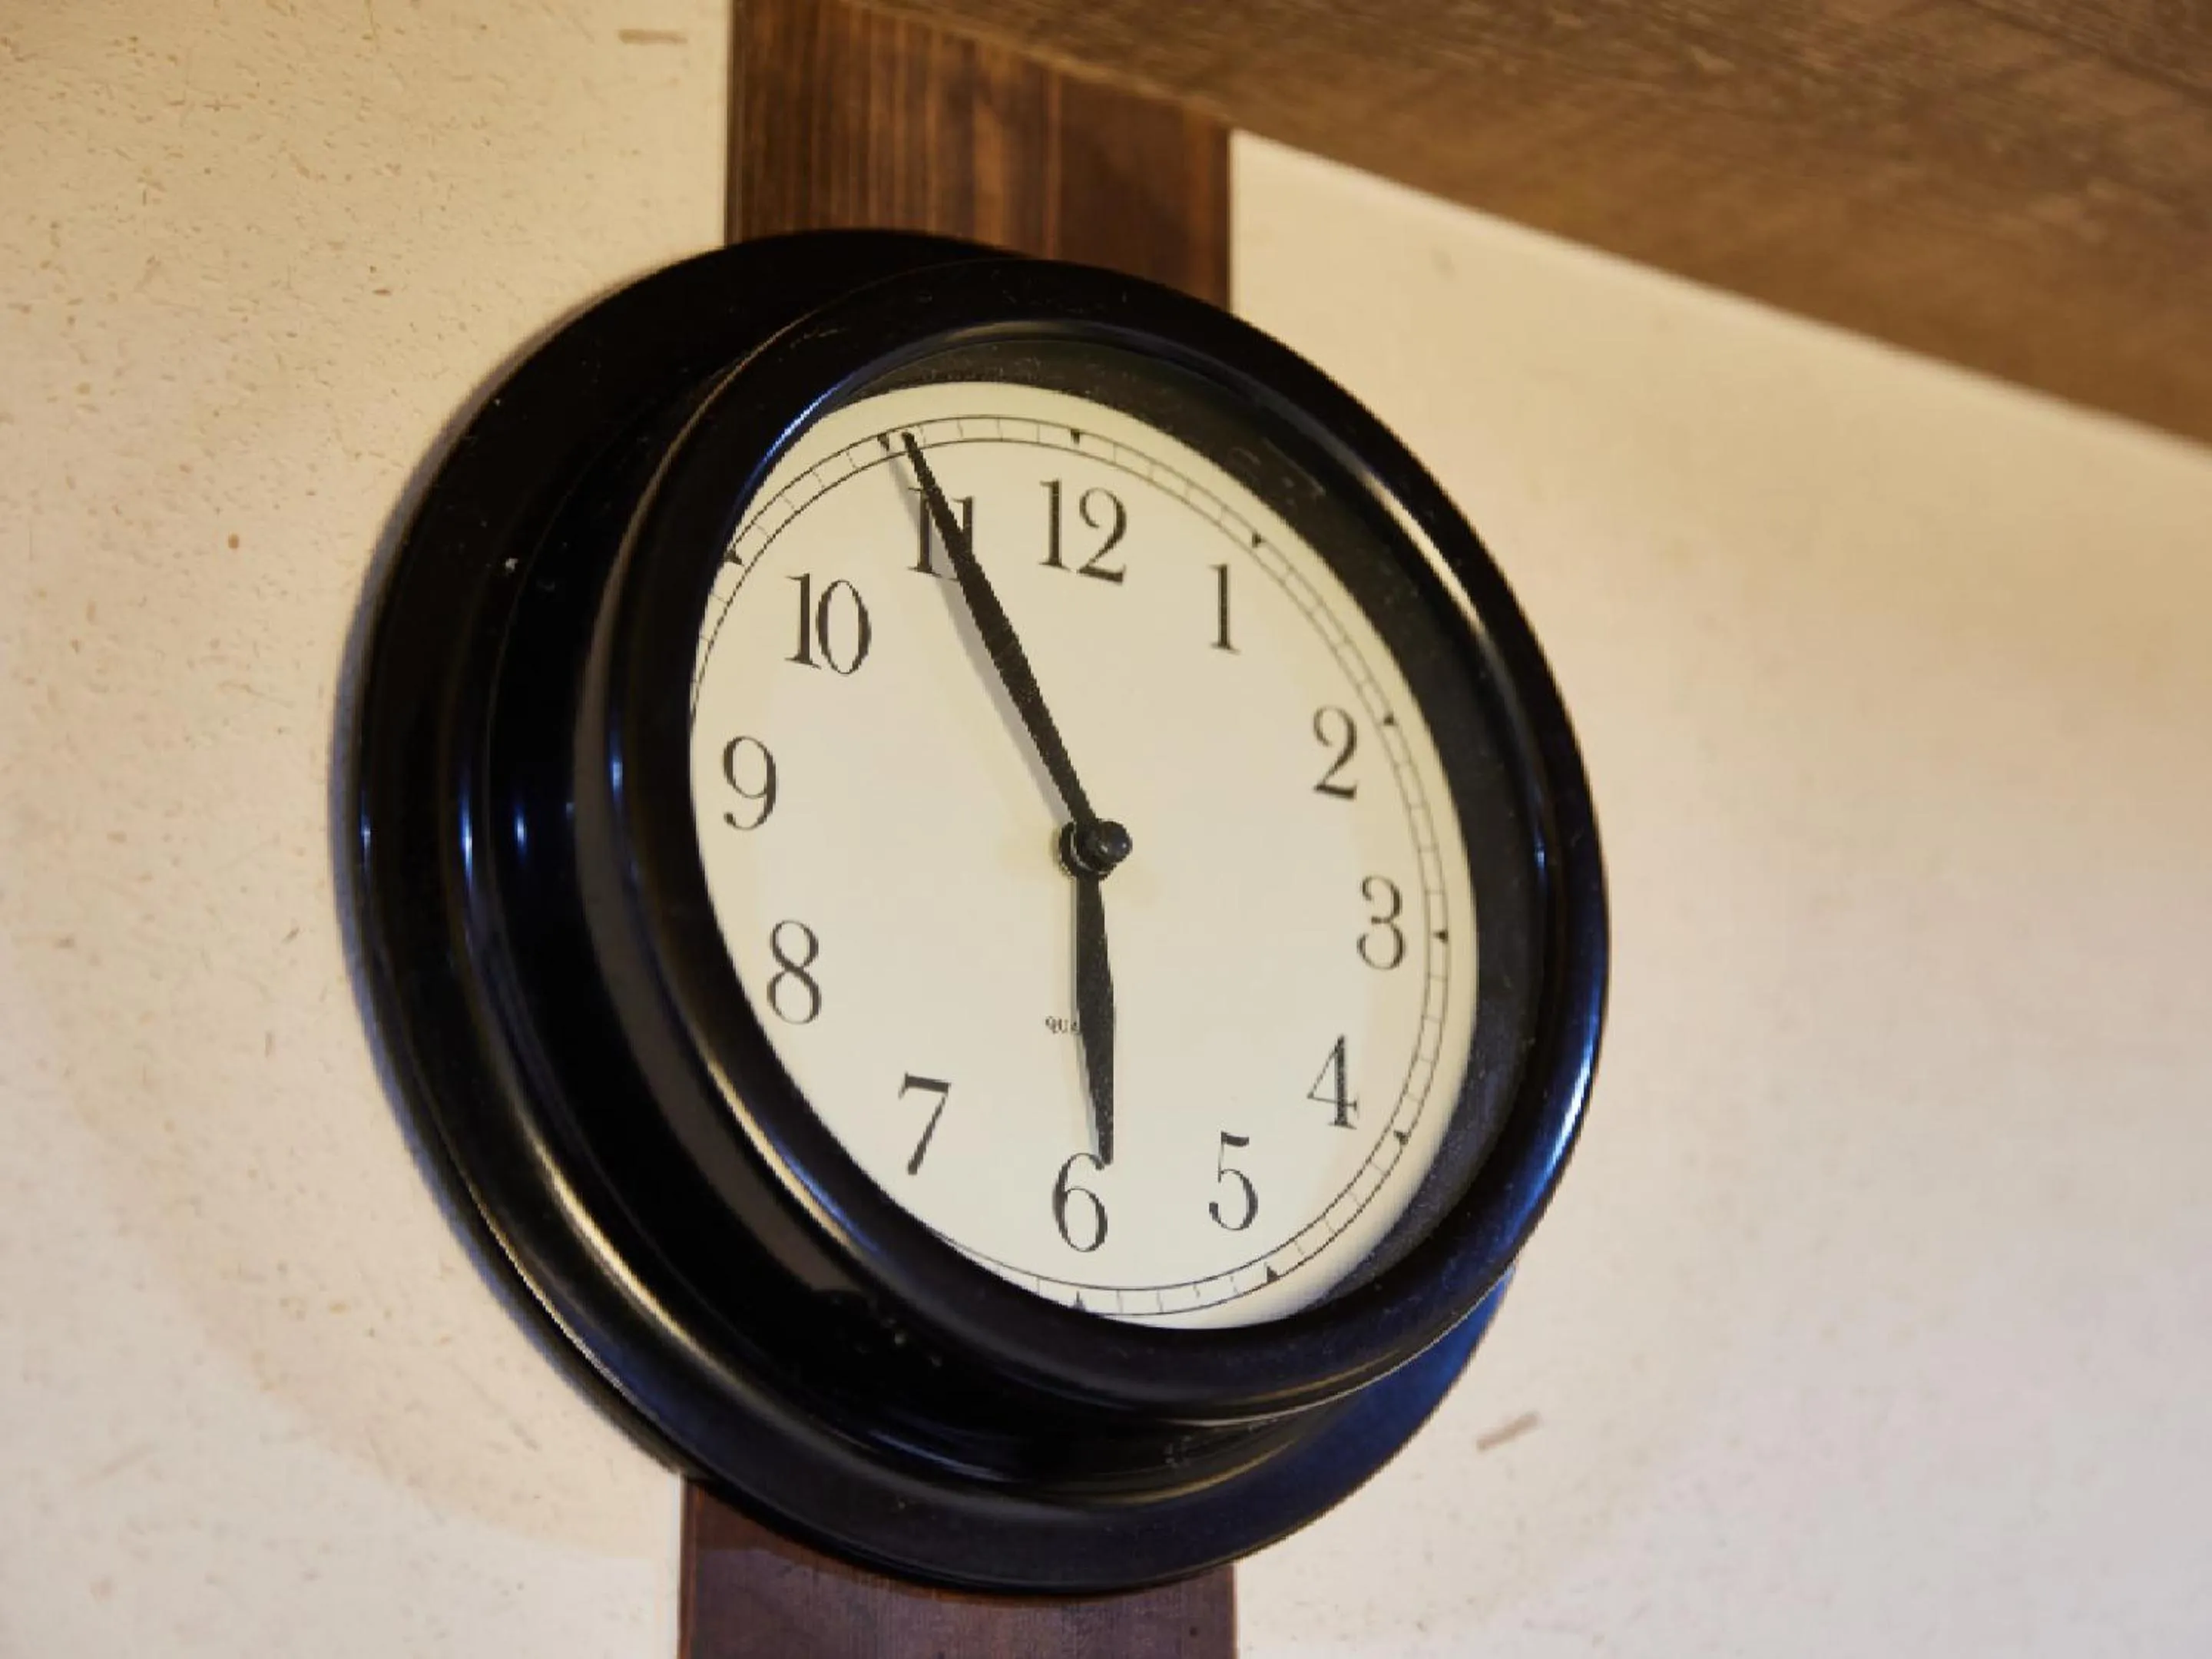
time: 5:55
